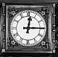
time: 12:14
